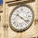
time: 10:21
